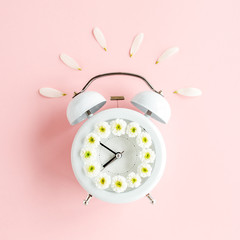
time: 7:50
